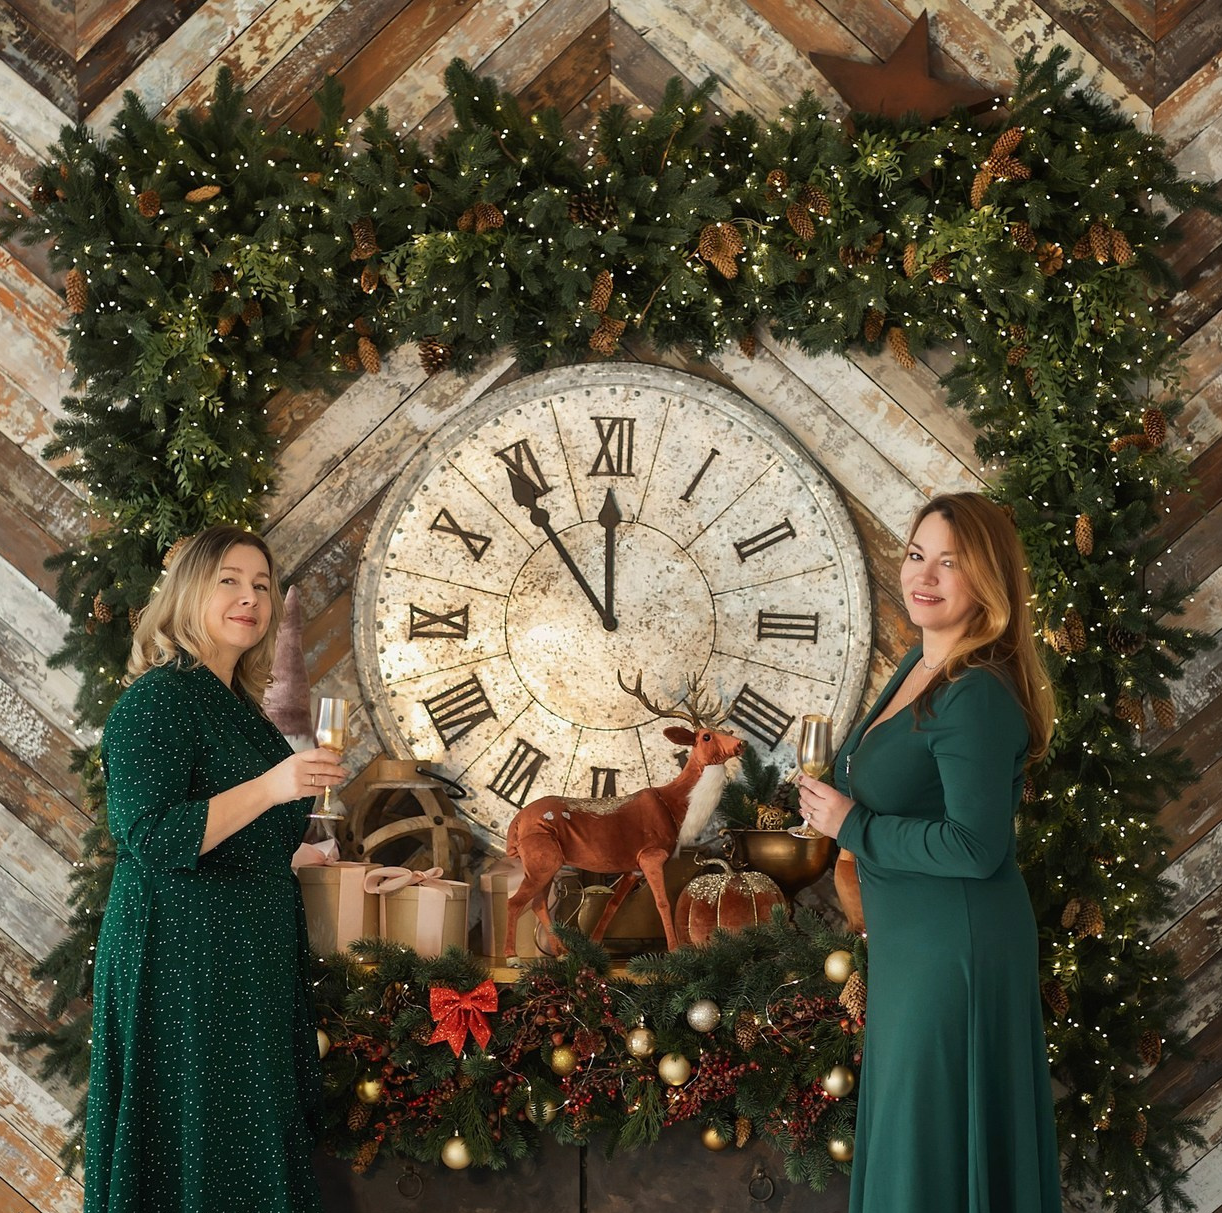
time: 11:53
